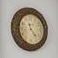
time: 11:23
